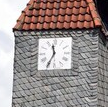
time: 11:34
